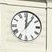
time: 12:06
